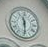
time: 11:29
